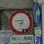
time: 8:32
